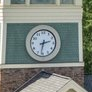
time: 2:31
